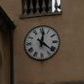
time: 12:21
